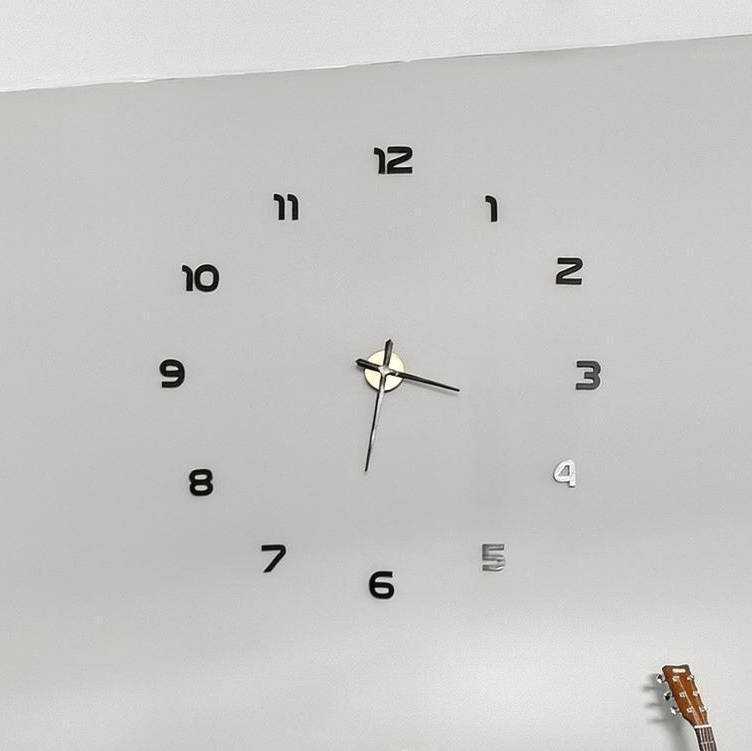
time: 3:31
